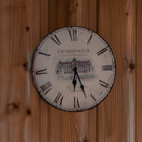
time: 6:26
